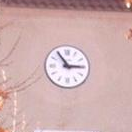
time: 2:54
